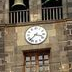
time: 3:37
